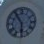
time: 5:54
